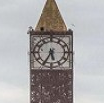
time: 5:34
